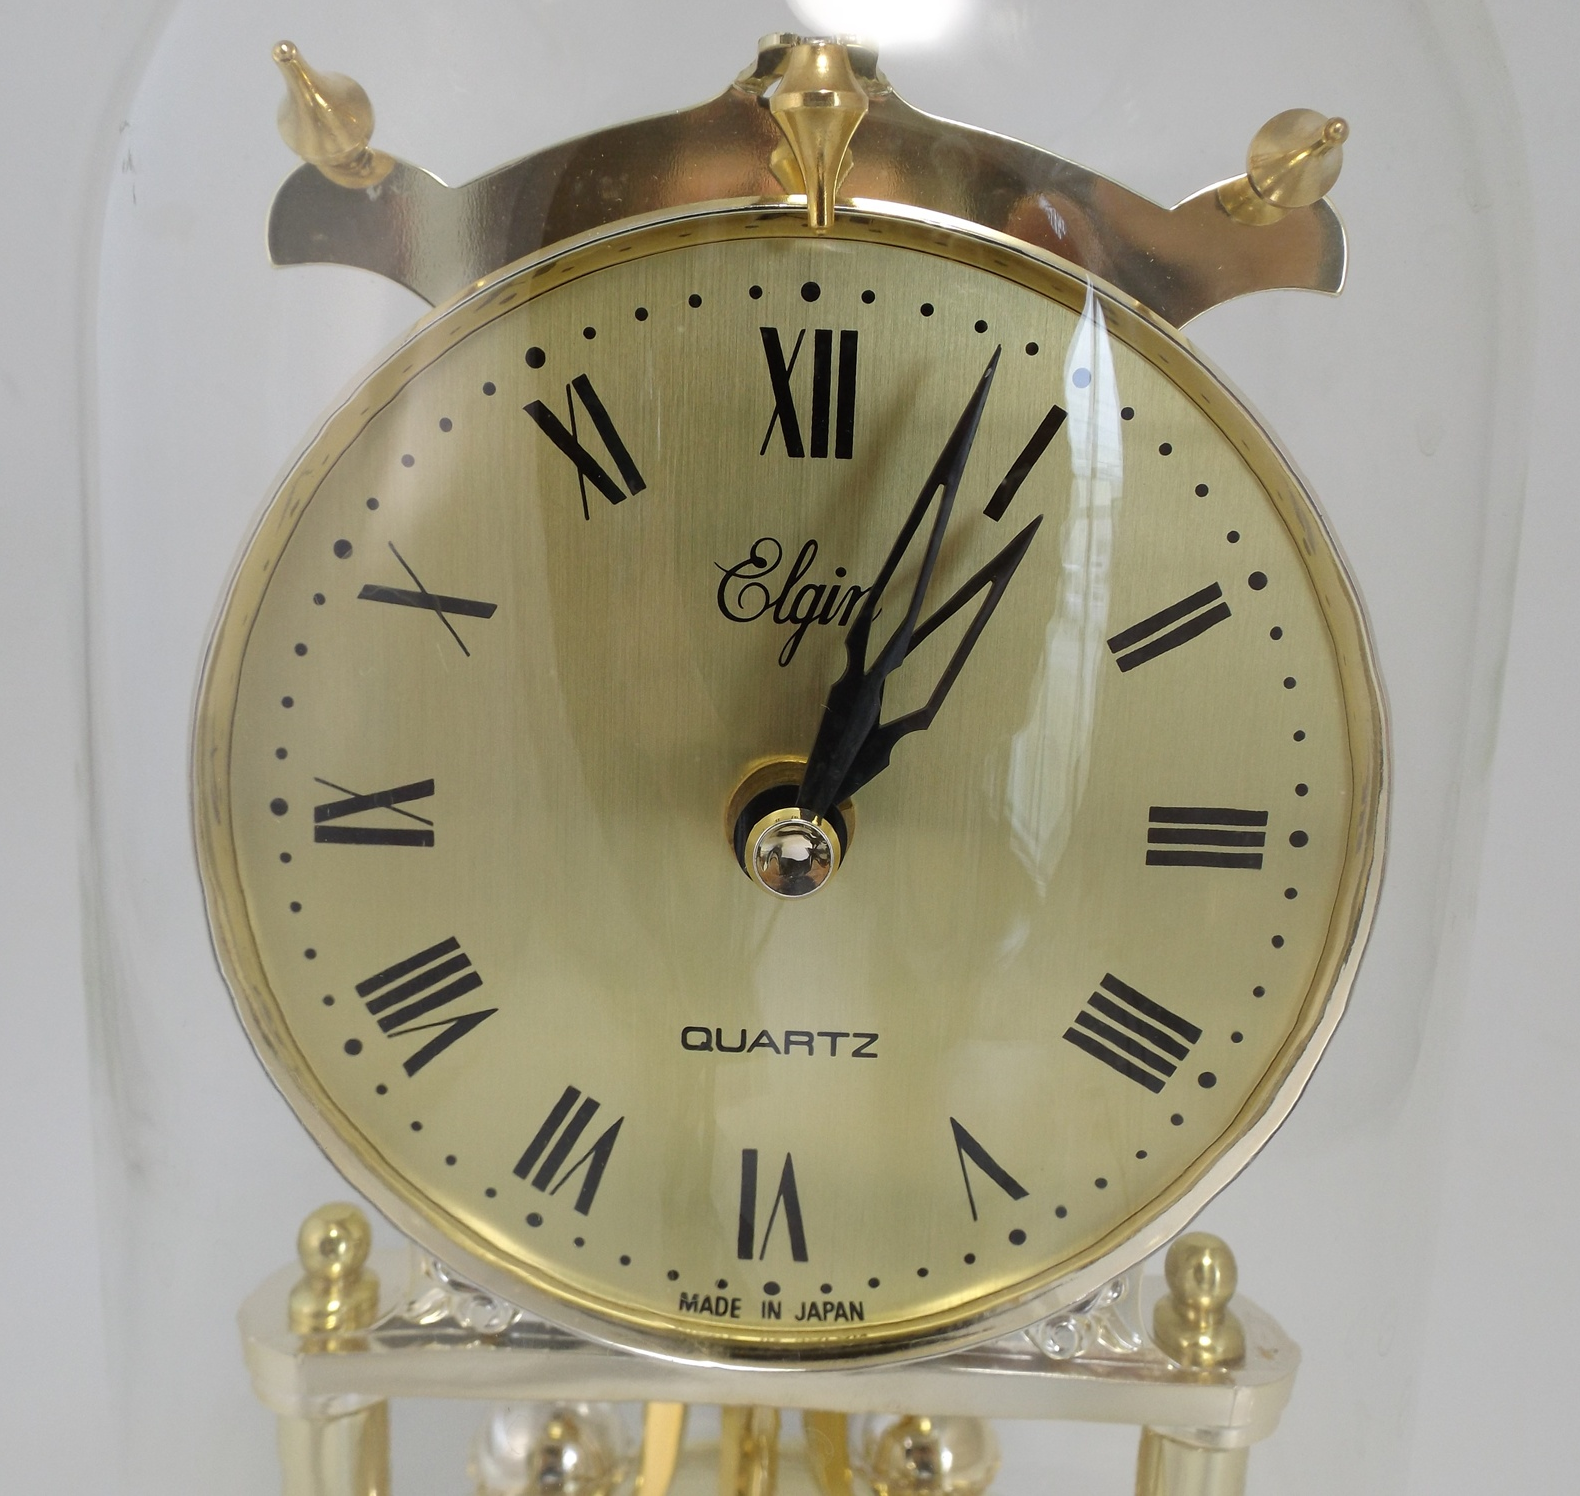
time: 1:03
